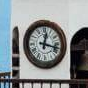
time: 12:17
